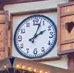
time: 2:03
